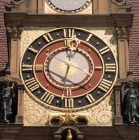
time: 12:32
